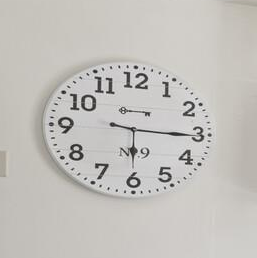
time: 6:15
